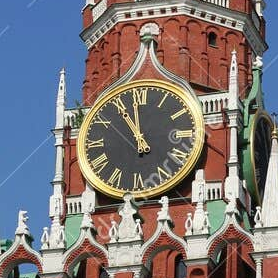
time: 10:58
